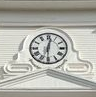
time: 12:30
